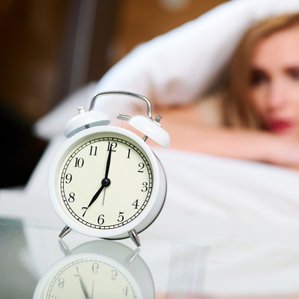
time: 7:00
